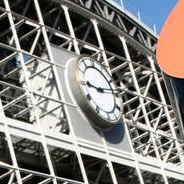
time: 9:12
